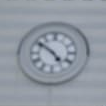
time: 4:51
